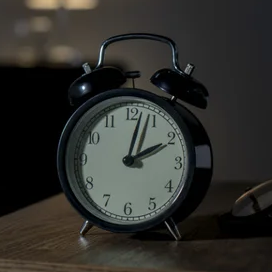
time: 2:02
